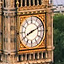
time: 8:11
